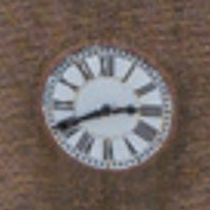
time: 2:40
